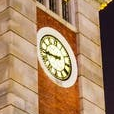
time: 8:43
